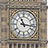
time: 11:16
